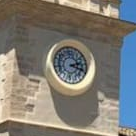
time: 2:18
